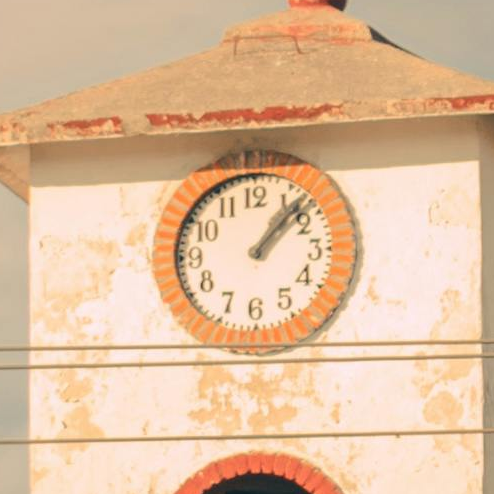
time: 1:07
